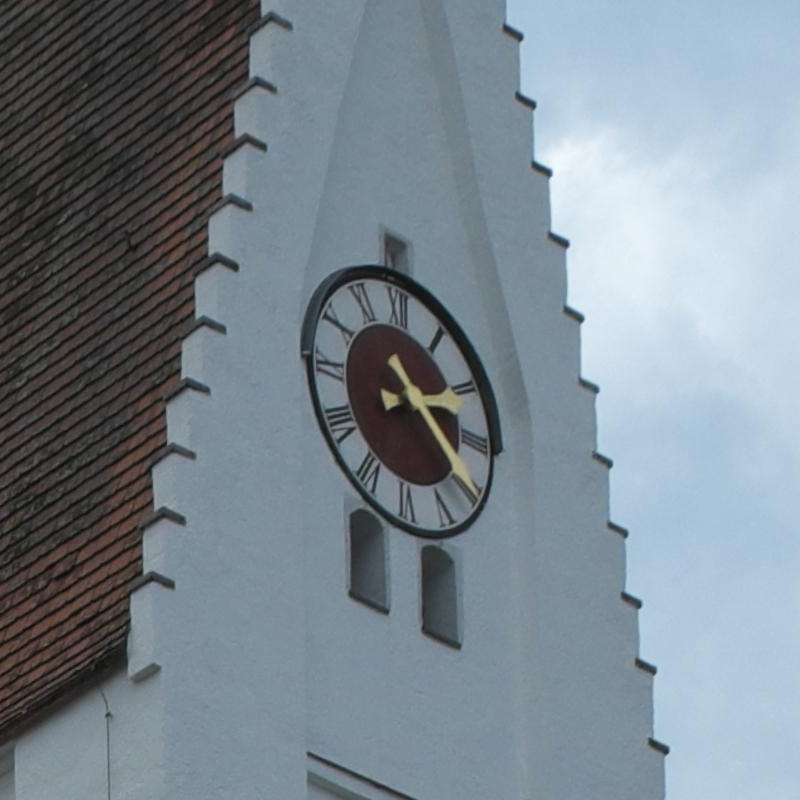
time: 2:21
